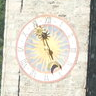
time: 4:57
